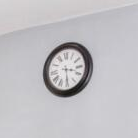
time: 3:29
